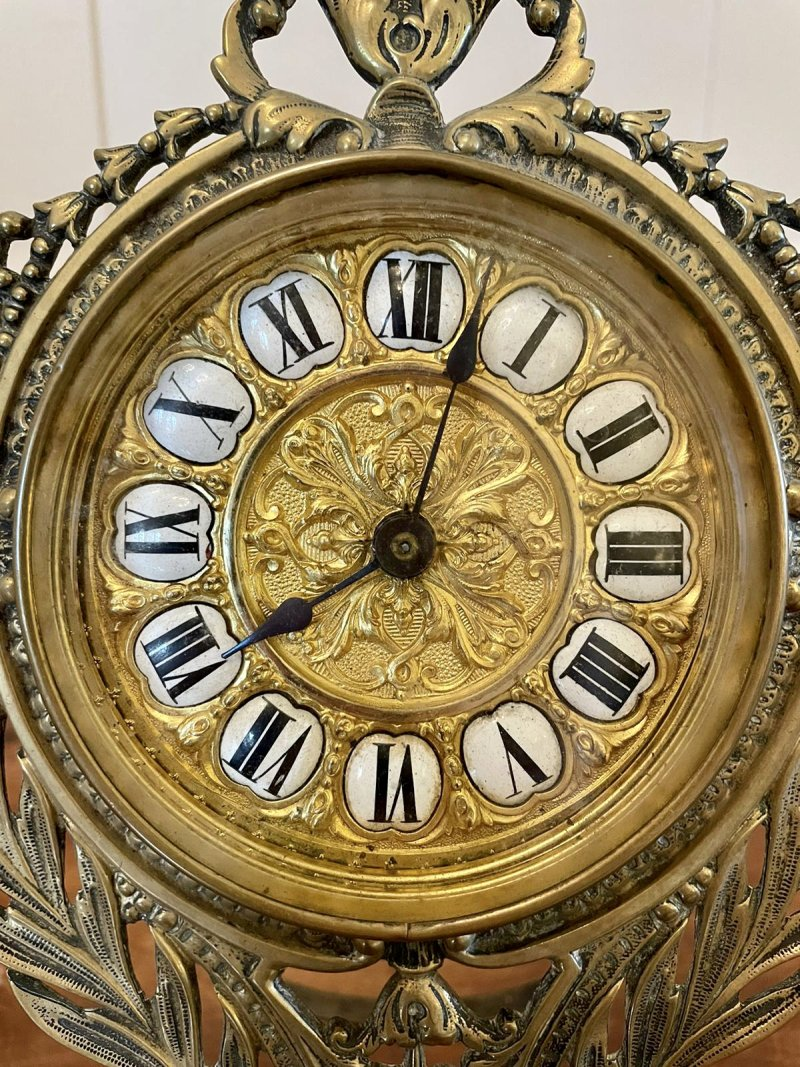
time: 8:02
